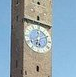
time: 6:10
